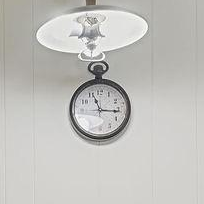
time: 11:15
